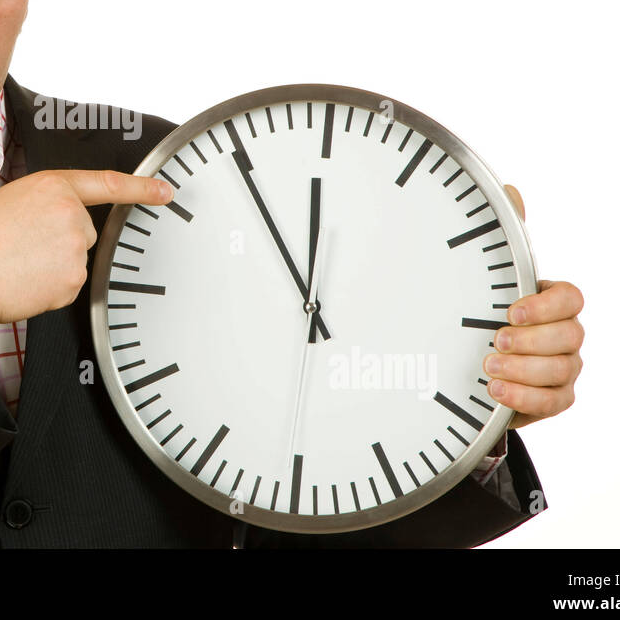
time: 11:54
